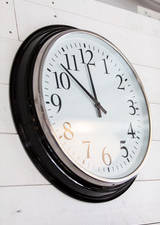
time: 11:52
